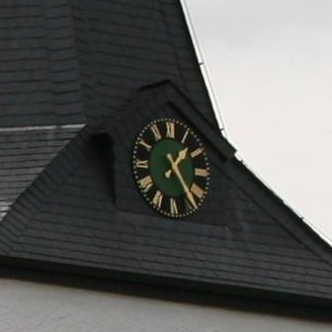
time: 1:24
